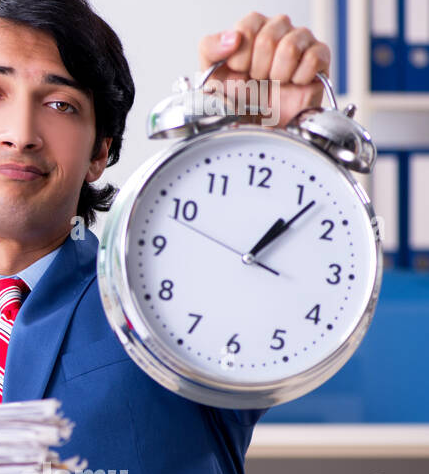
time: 1:06
